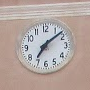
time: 7:08
